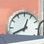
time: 12:40
